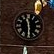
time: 11:29
